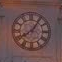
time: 8:05
